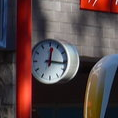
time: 12:16
